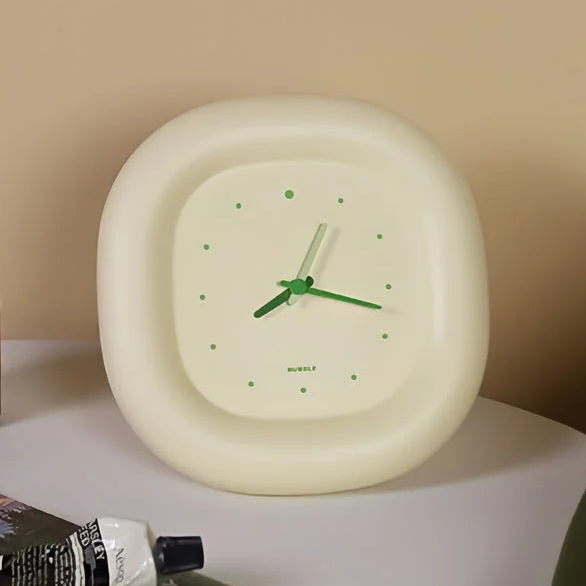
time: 8:17
